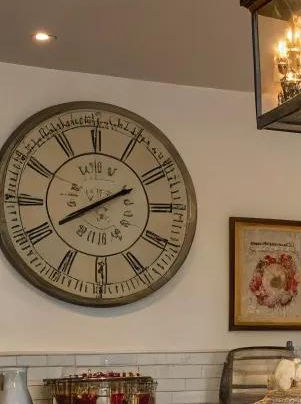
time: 8:10
